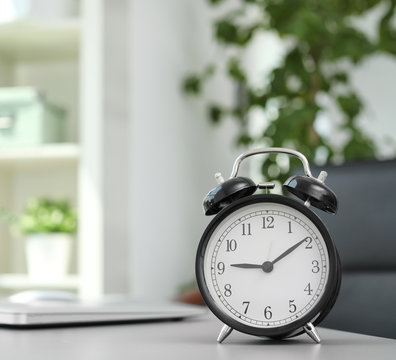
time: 9:09
